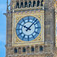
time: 10:07
